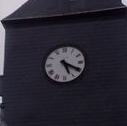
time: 5:19
